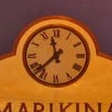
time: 11:37
